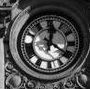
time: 12:20
